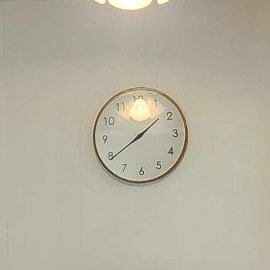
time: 1:39
